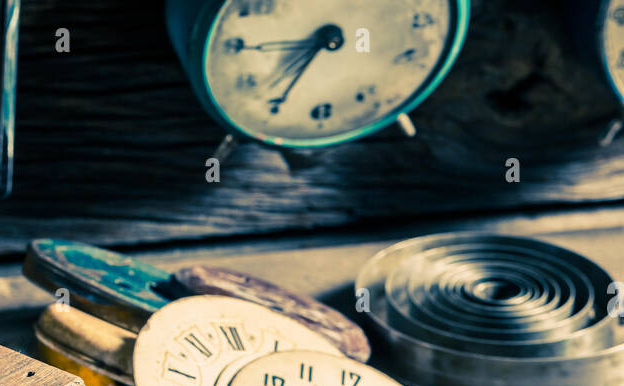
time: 7:35
